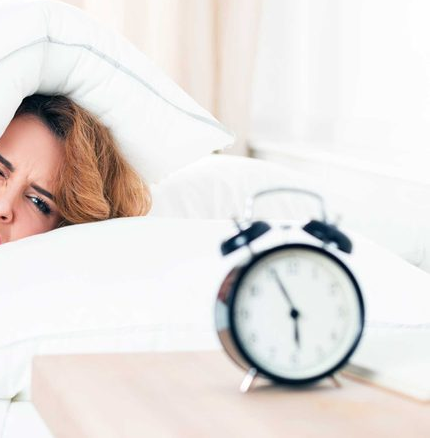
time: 5:55
